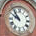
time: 9:53
